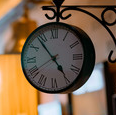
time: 4:53
